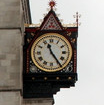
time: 11:24
